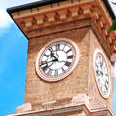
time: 10:42
